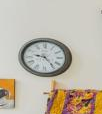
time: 9:23
